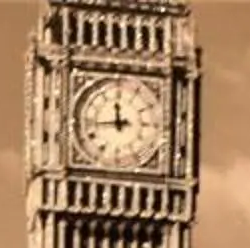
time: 11:43
